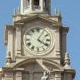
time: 4:04
